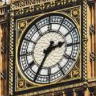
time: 2:35
